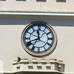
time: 11:41
